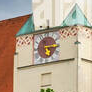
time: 5:14
